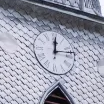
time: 12:13
